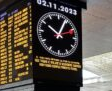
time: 10:04
